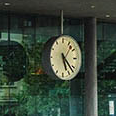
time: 5:22
